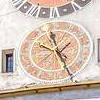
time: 11:25
